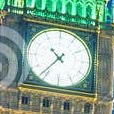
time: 10:36
